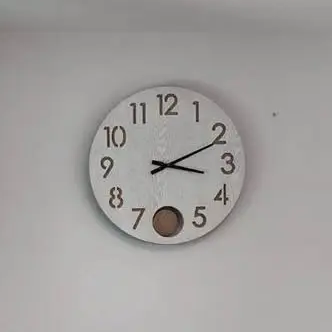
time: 3:10
